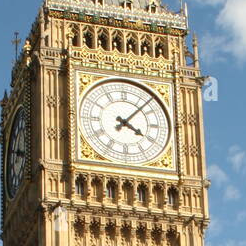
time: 4:07
